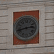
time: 2:42
